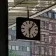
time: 6:06
